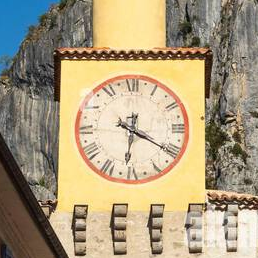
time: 6:20
